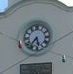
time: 5:36
